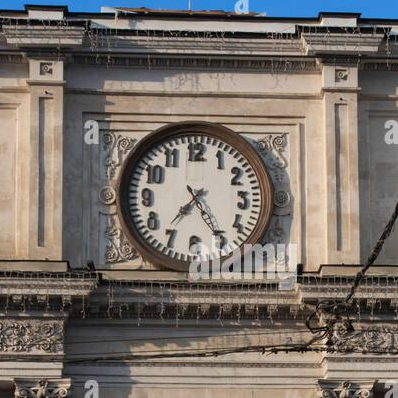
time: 7:24
